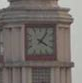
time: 4:06
